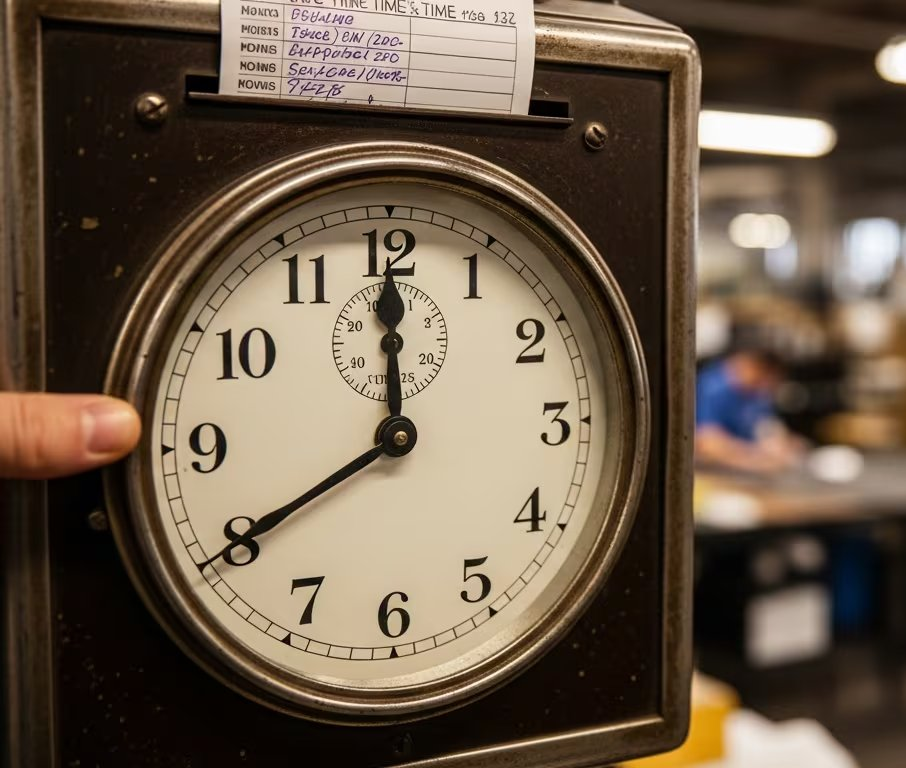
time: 11:59
